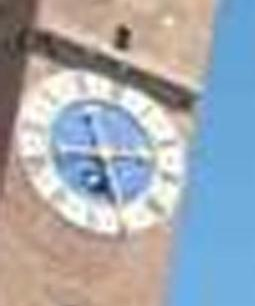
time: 5:12
